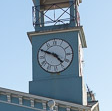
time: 4:49
